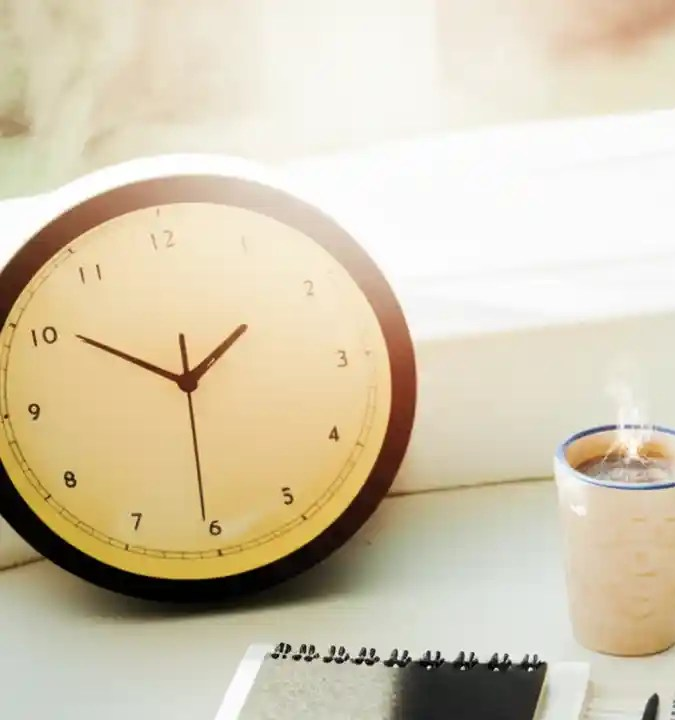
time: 1:50
